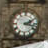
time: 2:18
